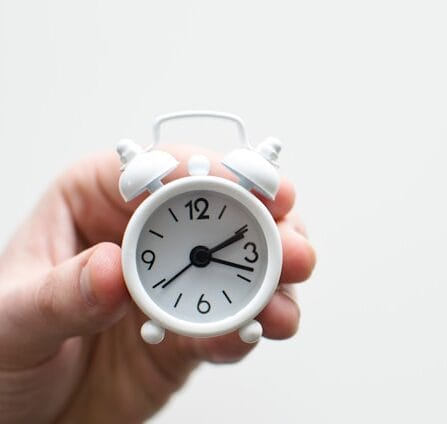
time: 2:18
